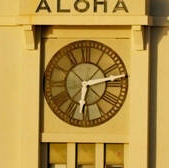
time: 6:13
